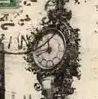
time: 11:42
